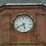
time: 5:40
